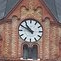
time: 10:50
